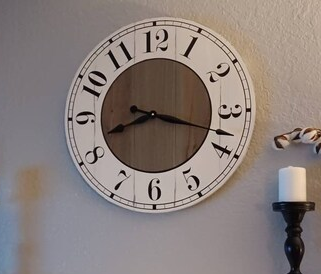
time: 8:17
